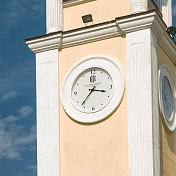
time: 3:37
